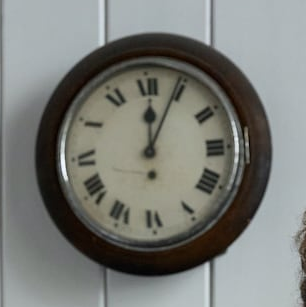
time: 12:04
